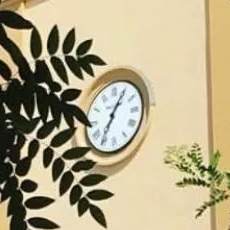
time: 7:05
